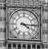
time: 4:15
